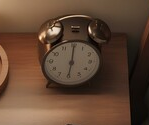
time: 6:00
